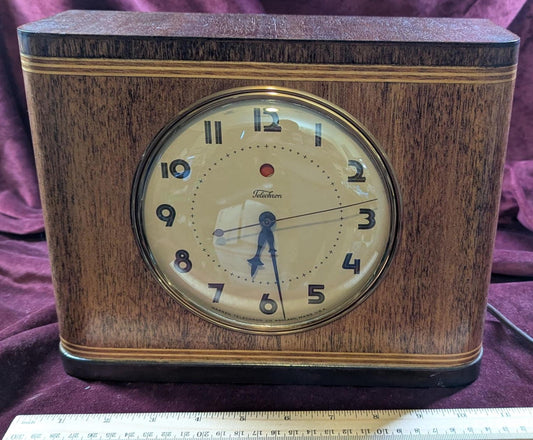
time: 6:28
